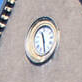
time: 11:28
